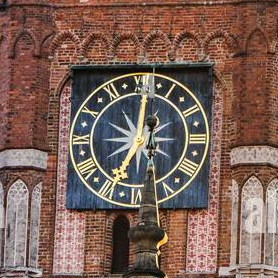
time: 10:34
